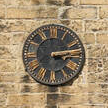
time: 3:13
